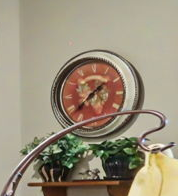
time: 1:37
